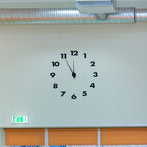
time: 11:55
